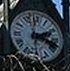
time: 2:18
